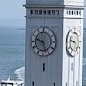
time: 9:27
